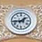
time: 1:44
